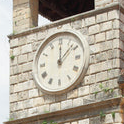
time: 12:07
